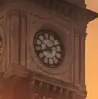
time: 8:09
